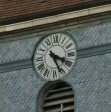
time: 5:18
